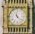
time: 11:22
